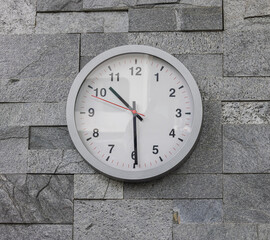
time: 10:29
